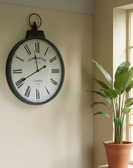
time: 11:40
